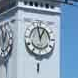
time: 12:57
